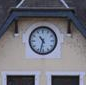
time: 10:32
